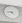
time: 4:44
